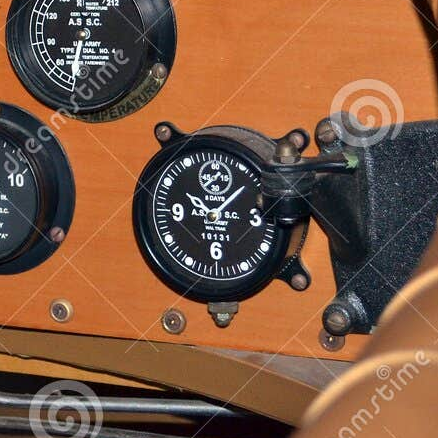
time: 10:07
